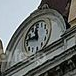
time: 11:46
